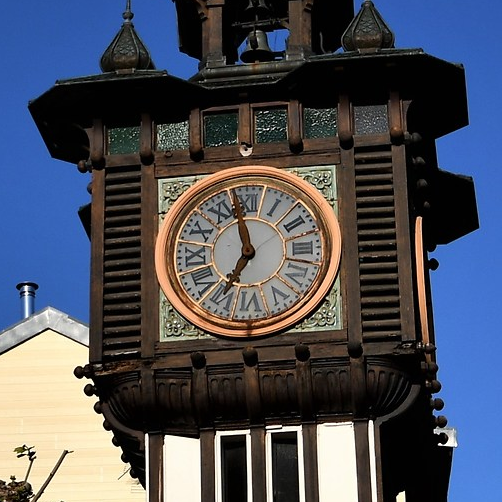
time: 6:58
